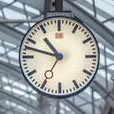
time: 10:47
